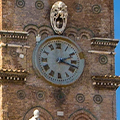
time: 2:18
